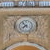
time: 7:53
